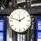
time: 1:47
